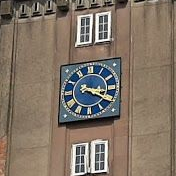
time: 3:20
